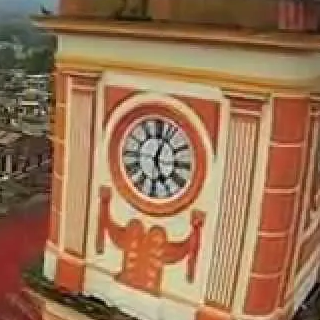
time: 5:03
